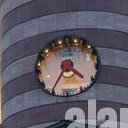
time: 4:35
